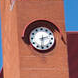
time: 2:30
